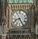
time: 8:25
